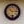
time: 10:14
